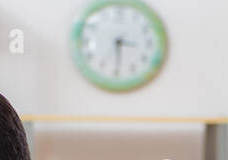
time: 3:29
